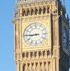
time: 8:45
